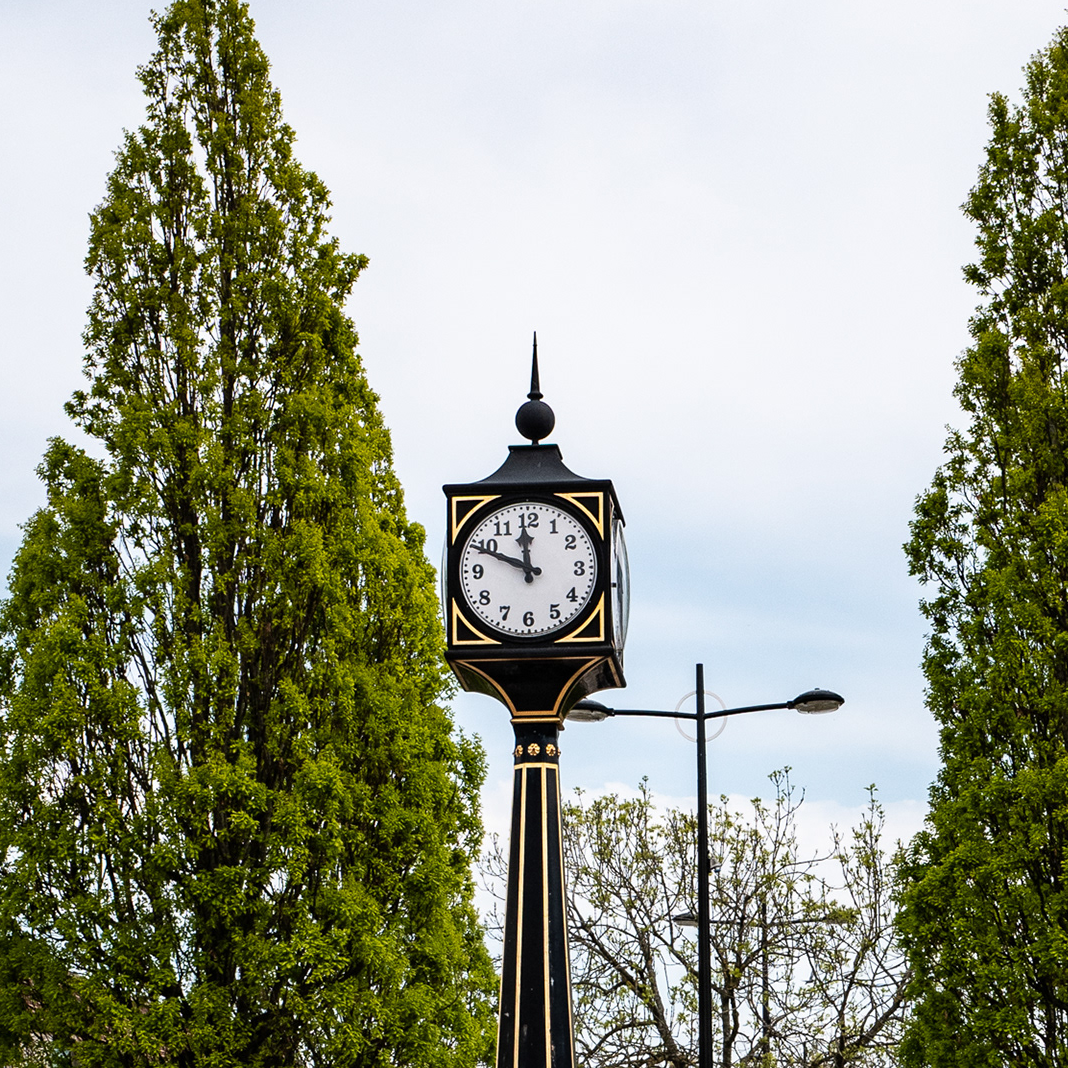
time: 11:48
